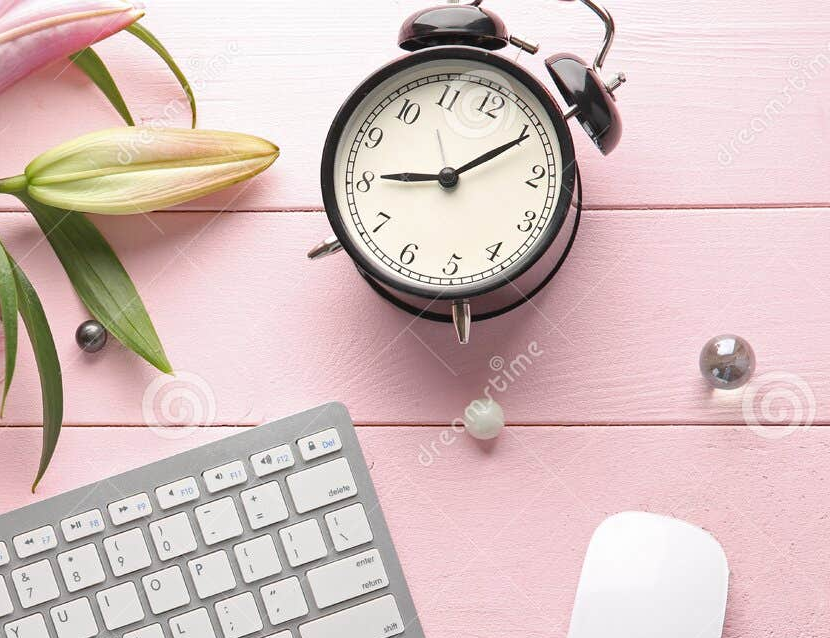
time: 9:10
